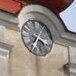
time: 3:34
